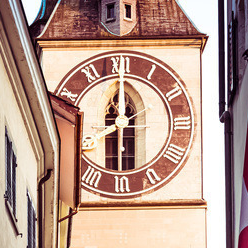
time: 6:00
